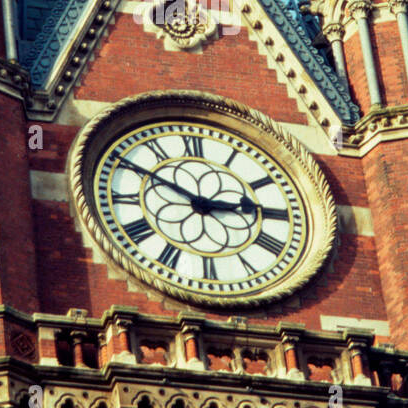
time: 2:50
